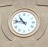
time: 10:47
